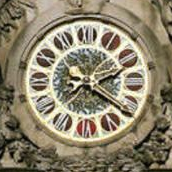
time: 2:20
